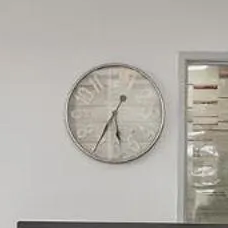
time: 5:35
